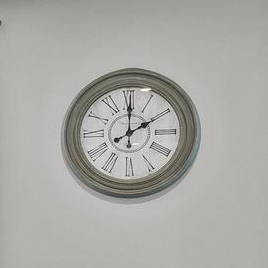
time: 2:00
